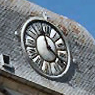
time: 11:19
